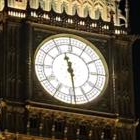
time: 11:28
